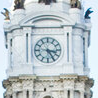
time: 3:24
